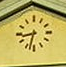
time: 8:32
